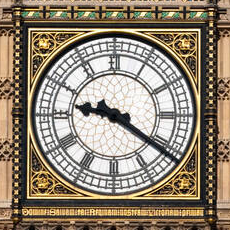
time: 9:21
